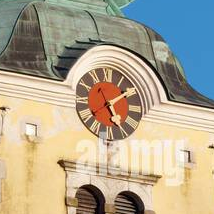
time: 5:09
